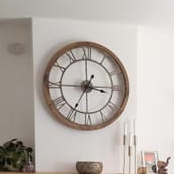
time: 3:34
